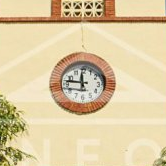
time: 11:46
